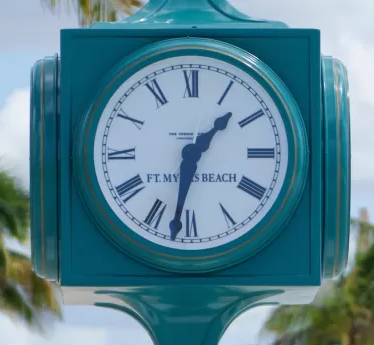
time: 1:32
